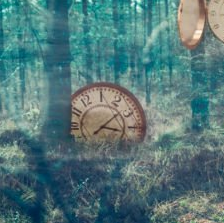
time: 3:08
